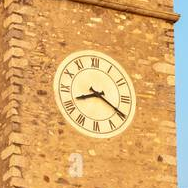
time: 8:19
